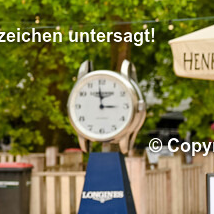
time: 2:59
